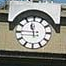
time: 11:45
